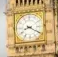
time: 8:20
